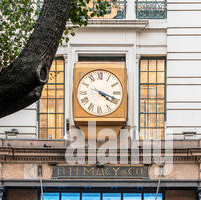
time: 4:18
